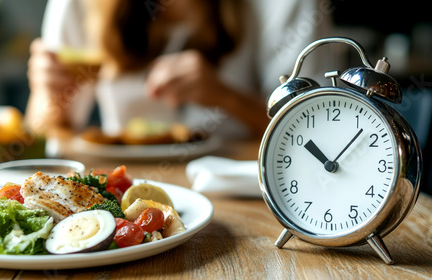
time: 10:07
